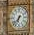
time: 6:37
